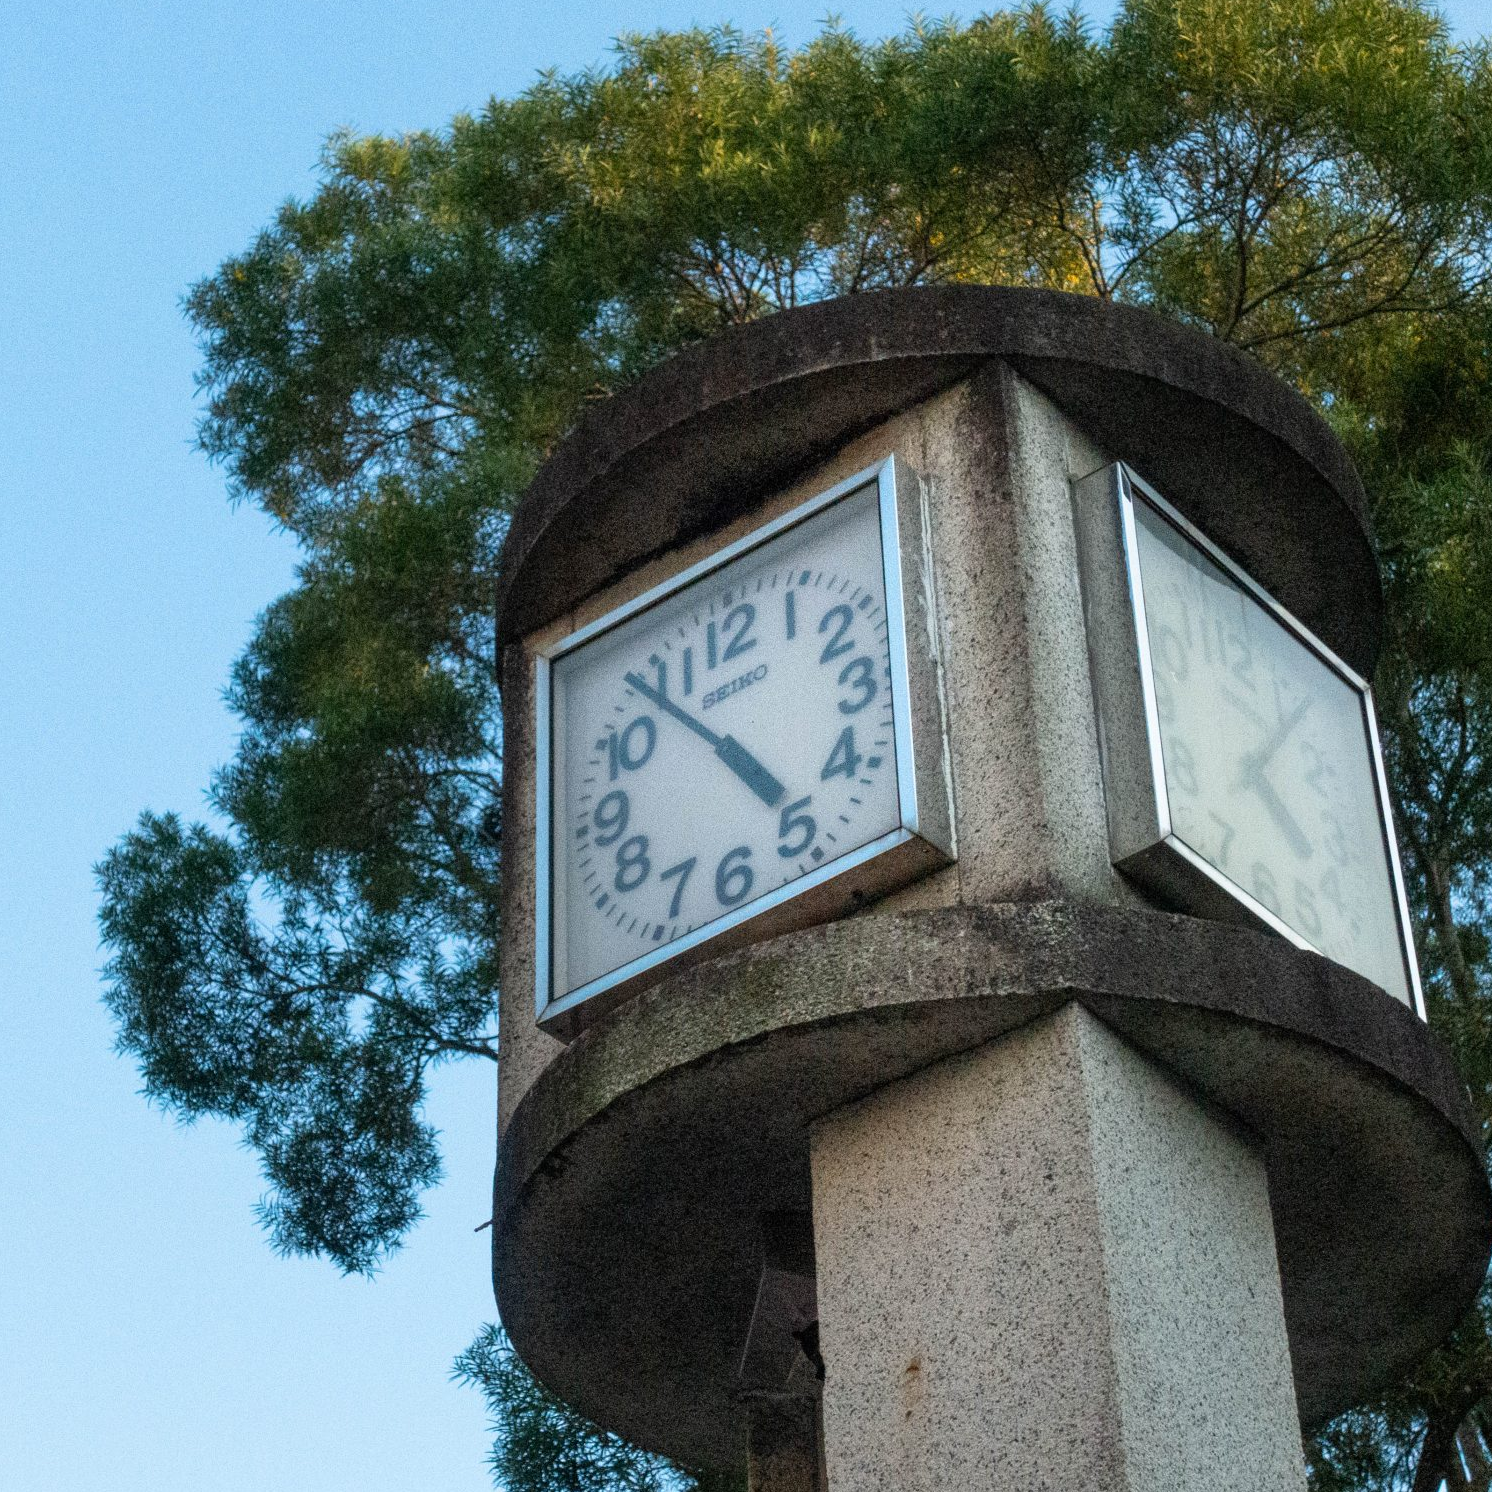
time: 4:53
